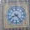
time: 8:23
